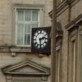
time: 2:29
